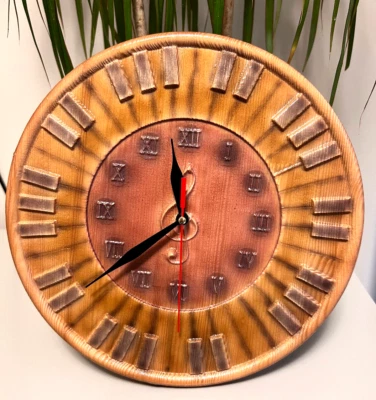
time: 11:39
